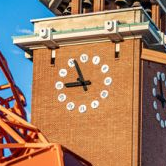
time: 8:56
